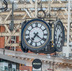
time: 7:21
